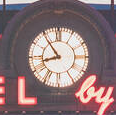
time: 10:42
